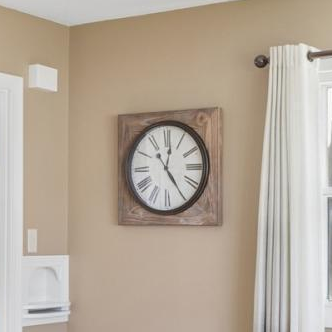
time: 12:24
